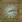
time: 2:12
